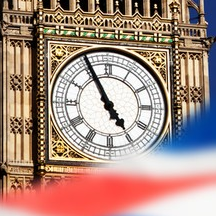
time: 4:55
